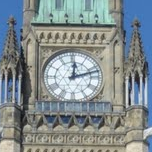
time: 12:12
